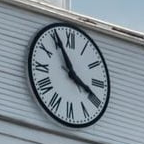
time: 3:55
